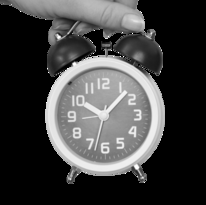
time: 10:07
